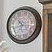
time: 10:42
